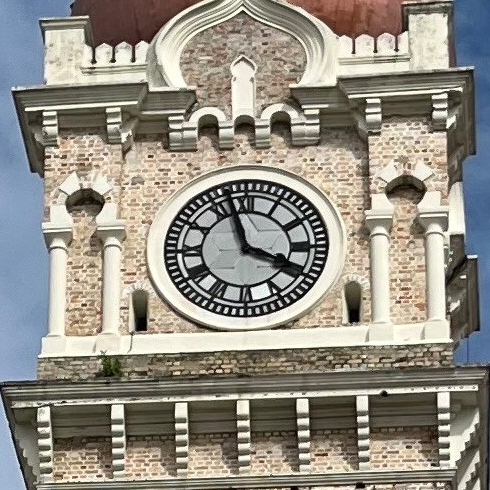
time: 3:56
